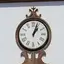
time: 1:03
